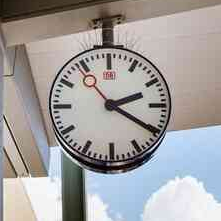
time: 2:20
